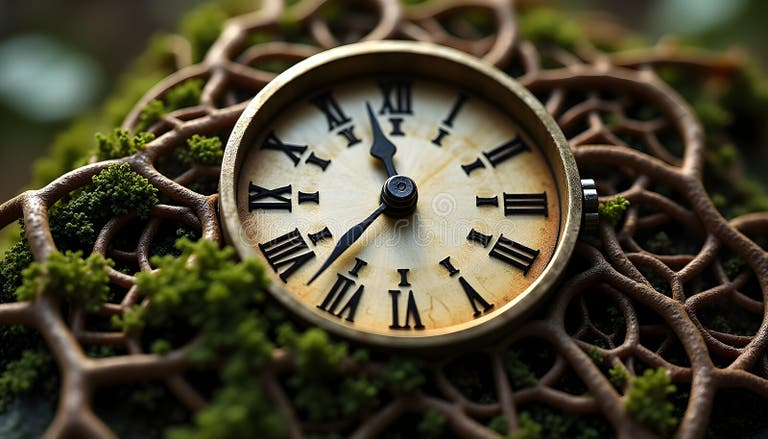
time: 11:36
